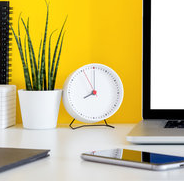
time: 8:00
